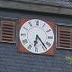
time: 6:23
